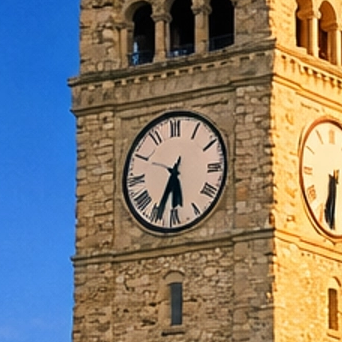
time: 5:33
